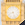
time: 8:26
